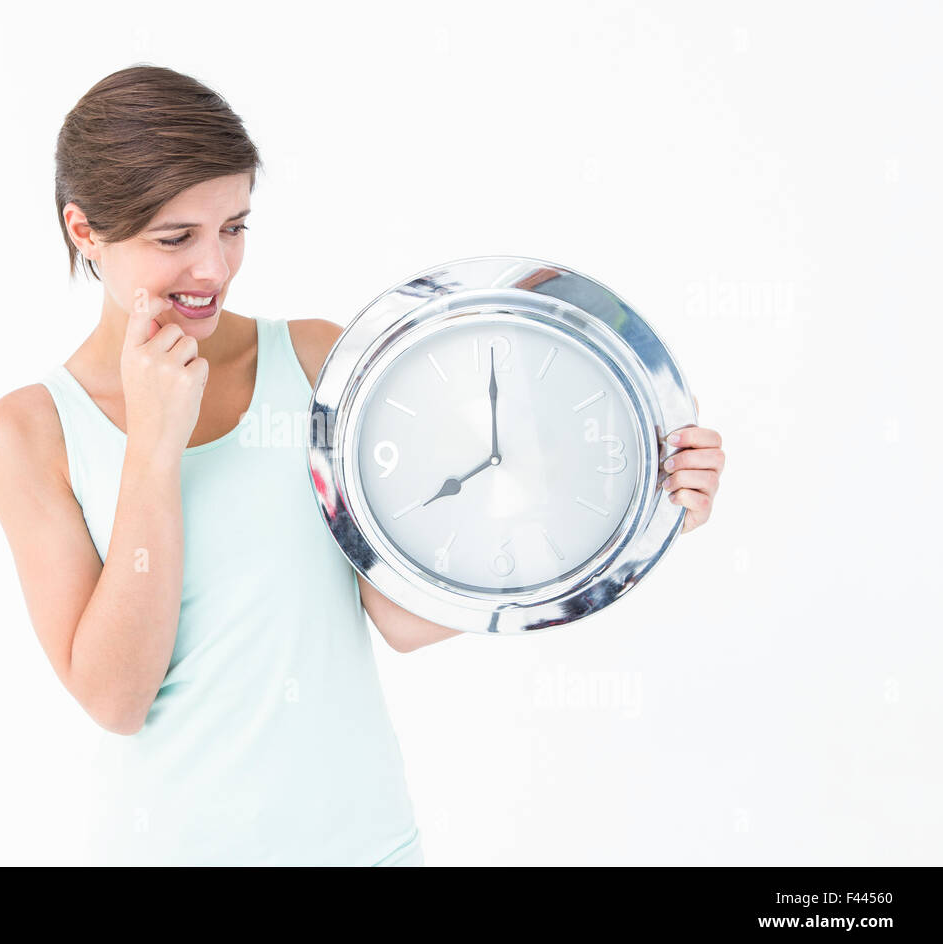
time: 8:00
